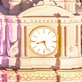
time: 8:27
